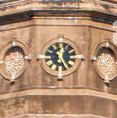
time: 12:24
